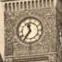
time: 11:36
